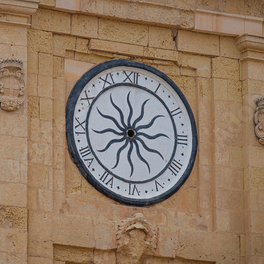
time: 11:49
